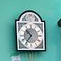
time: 10:36
